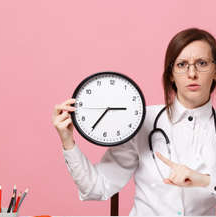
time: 2:35
